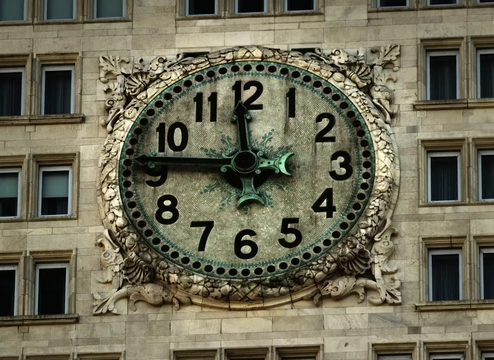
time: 11:46
